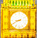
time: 8:40
